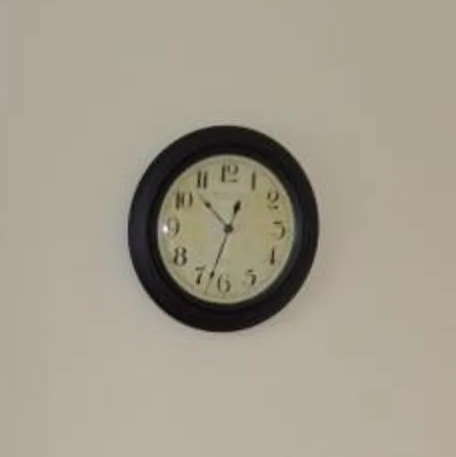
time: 10:33
